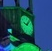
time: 9:07
